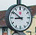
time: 8:51
